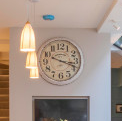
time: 3:18
